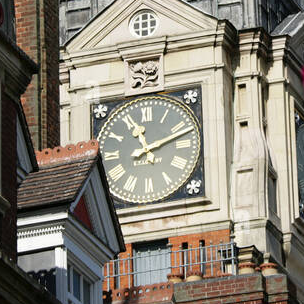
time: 11:12
